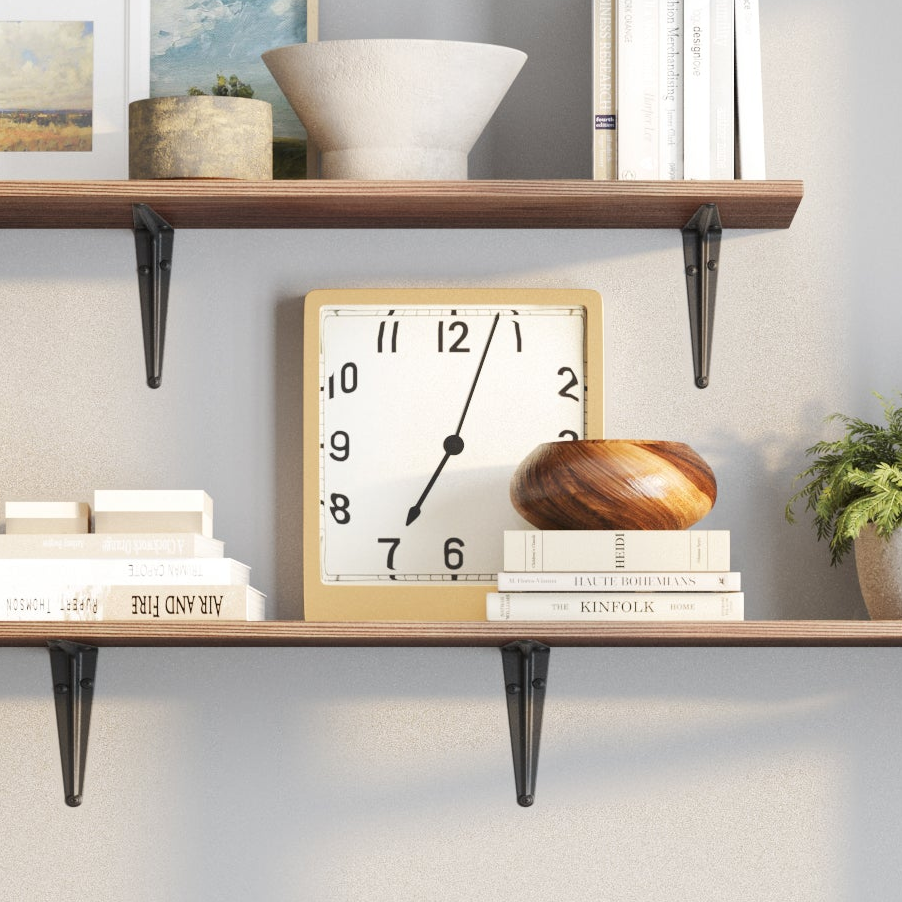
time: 7:03
